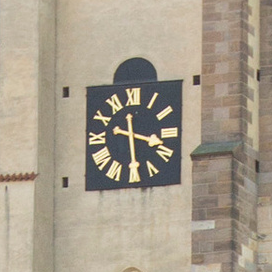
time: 3:29
